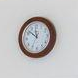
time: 11:51
